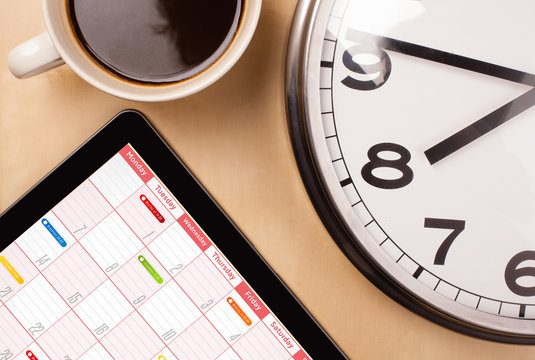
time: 7:46
